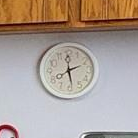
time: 2:28
